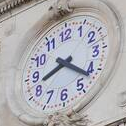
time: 8:21
